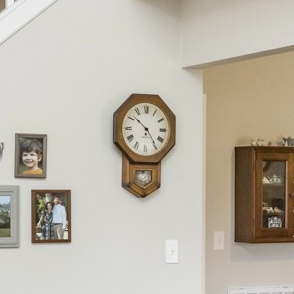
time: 10:23
